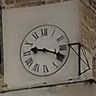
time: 9:18
